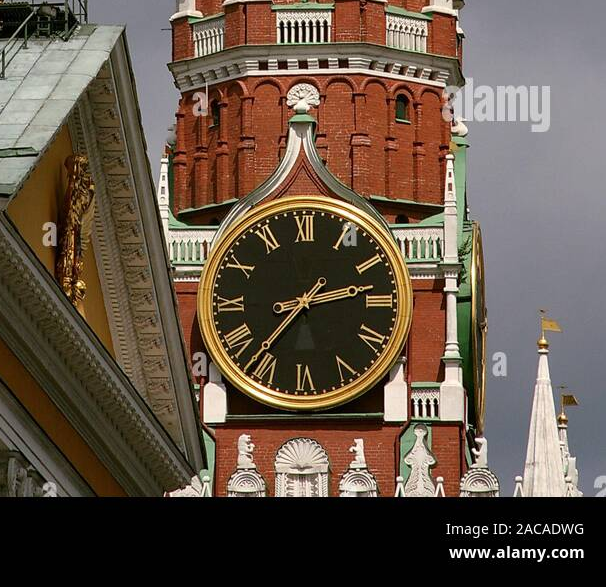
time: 2:36
